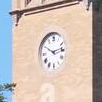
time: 10:13
